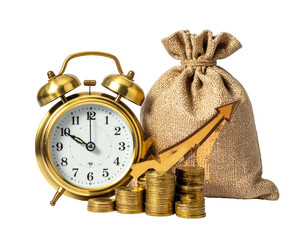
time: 10:00
